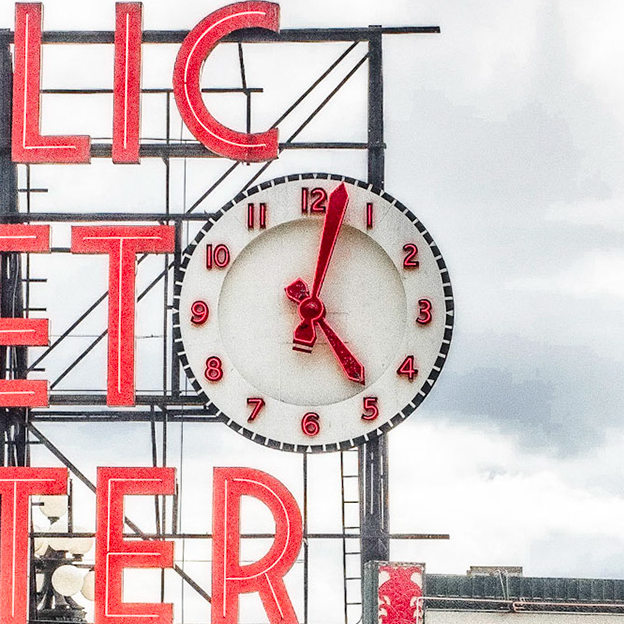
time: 5:02
